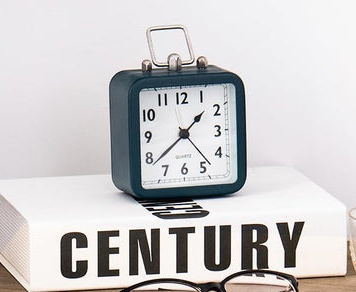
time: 1:38
